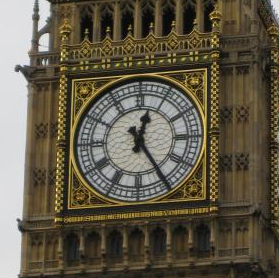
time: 12:24
